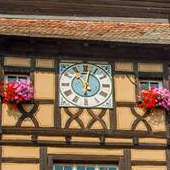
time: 11:02
